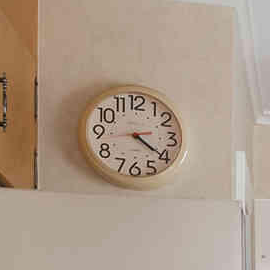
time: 4:20
